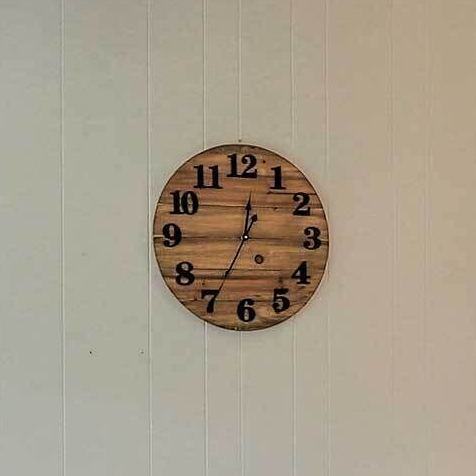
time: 12:34
